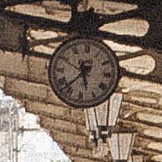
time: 5:37
